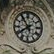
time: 7:54
